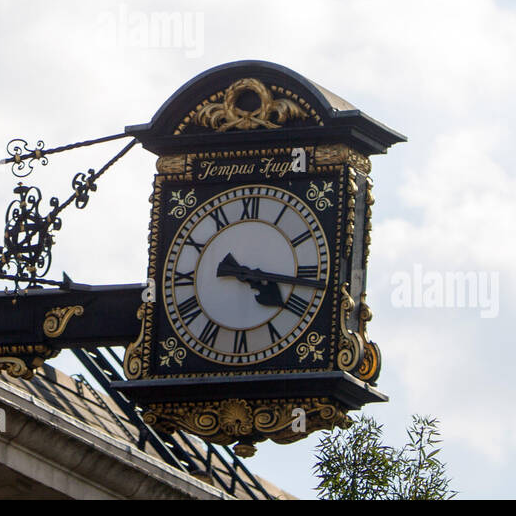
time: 4:16
